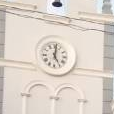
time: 5:01
